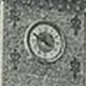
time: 11:49
